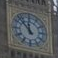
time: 11:52
